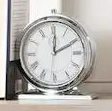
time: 12:10
